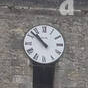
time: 10:52
